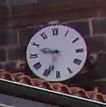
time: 9:33
